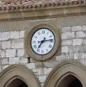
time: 7:13
